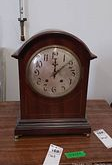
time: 12:08
